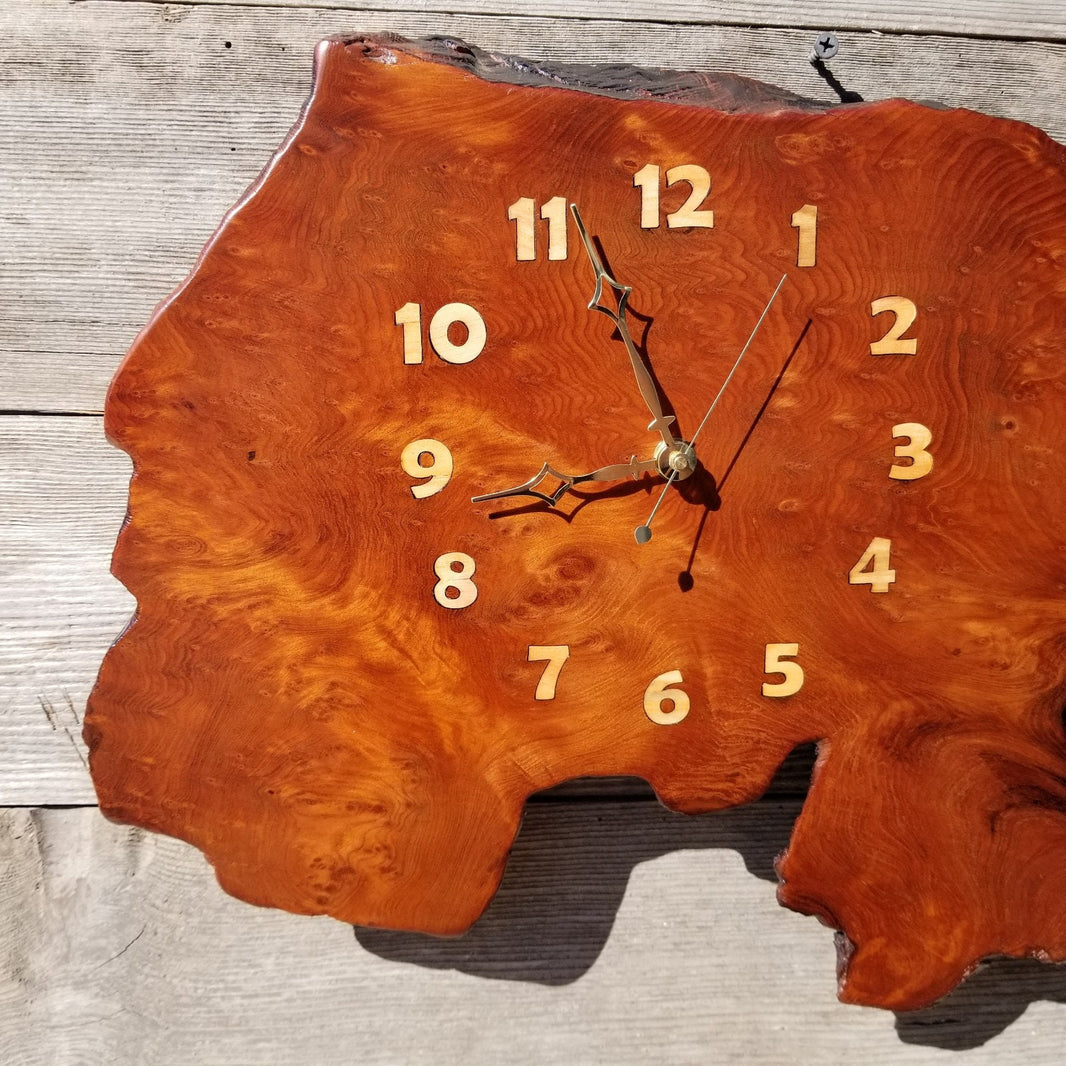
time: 8:56
